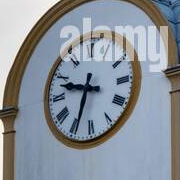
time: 9:33
